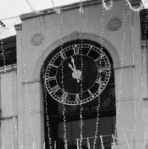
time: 10:58
